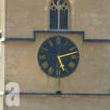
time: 5:12
